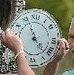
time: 4:56
